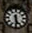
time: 5:30
